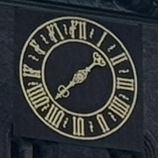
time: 1:38
